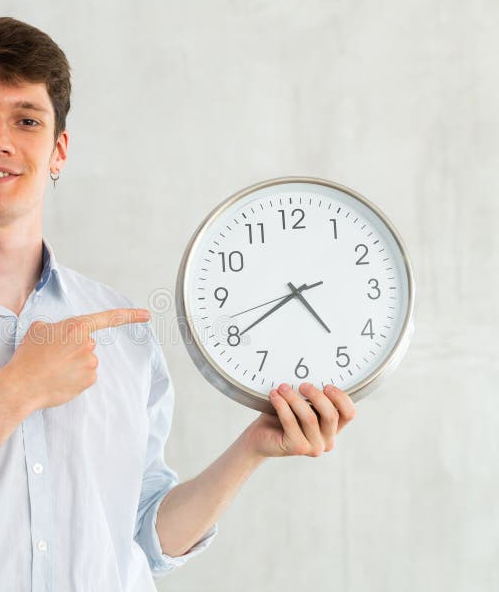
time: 4:39
